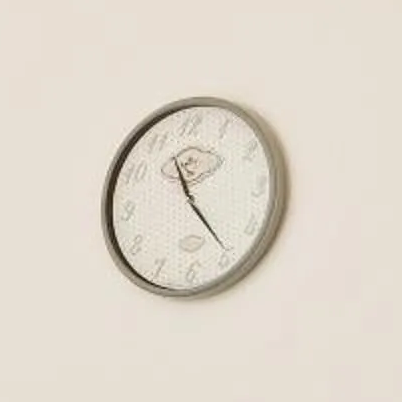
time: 11:24
